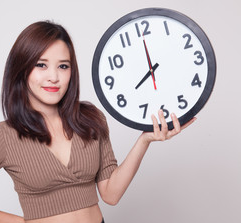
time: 7:59
